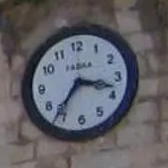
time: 3:36
